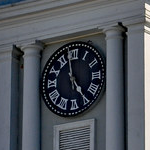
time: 4:58
